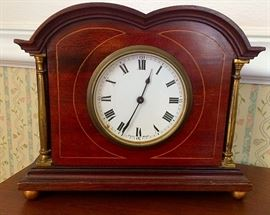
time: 12:34
